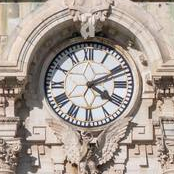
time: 4:10
